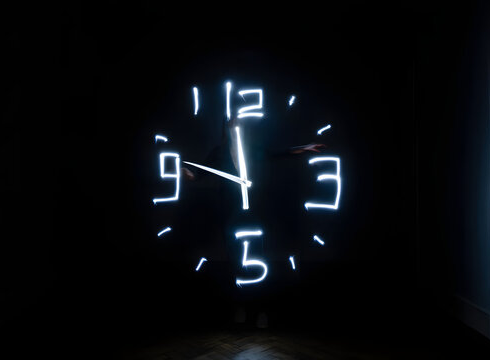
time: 11:48
